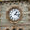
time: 1:16
